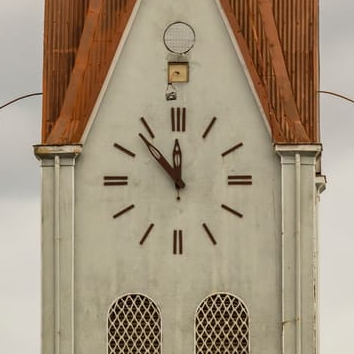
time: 11:52
